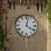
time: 4:02
